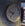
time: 9:36
